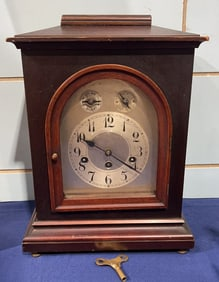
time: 9:20
